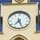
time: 7:26
